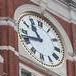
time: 10:42
